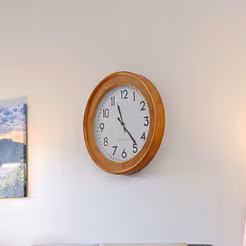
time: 11:23
